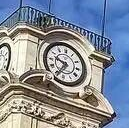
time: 9:34
